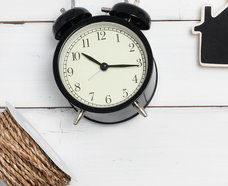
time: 10:15
